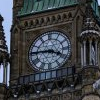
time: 3:45
